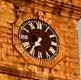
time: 7:36
